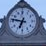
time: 6:46
